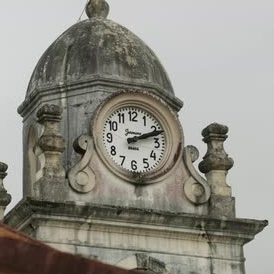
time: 2:11
